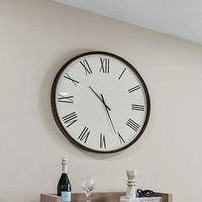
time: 10:25
